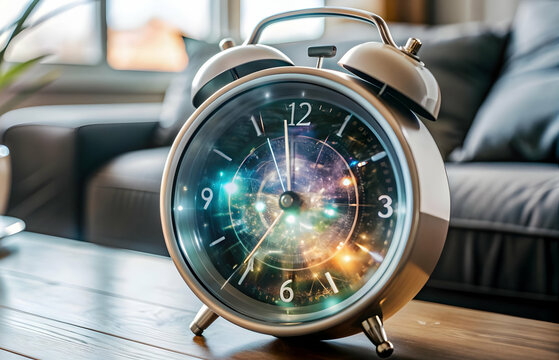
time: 11:35
